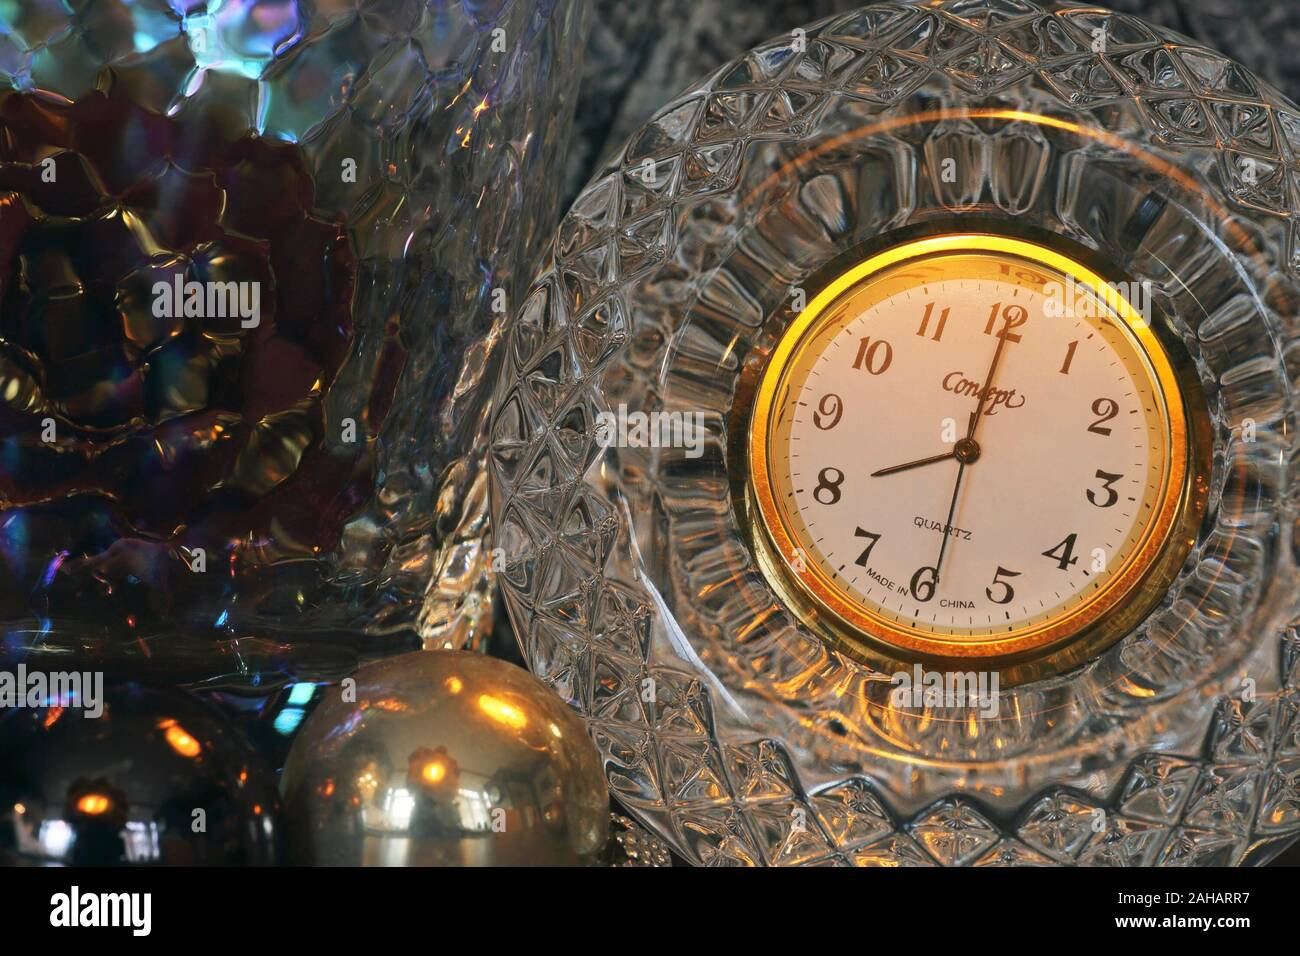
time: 8:01
